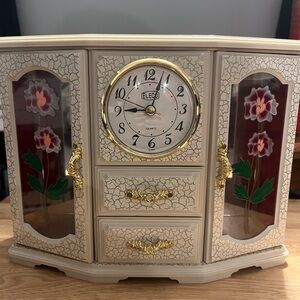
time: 9:03
